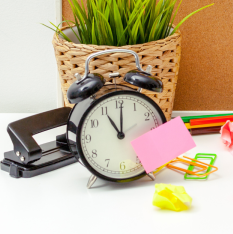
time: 11:01
